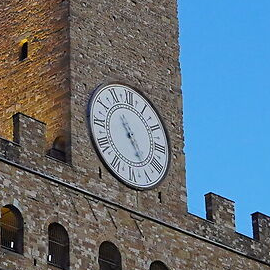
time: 4:53
